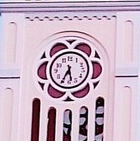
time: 5:34
